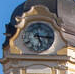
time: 5:15
